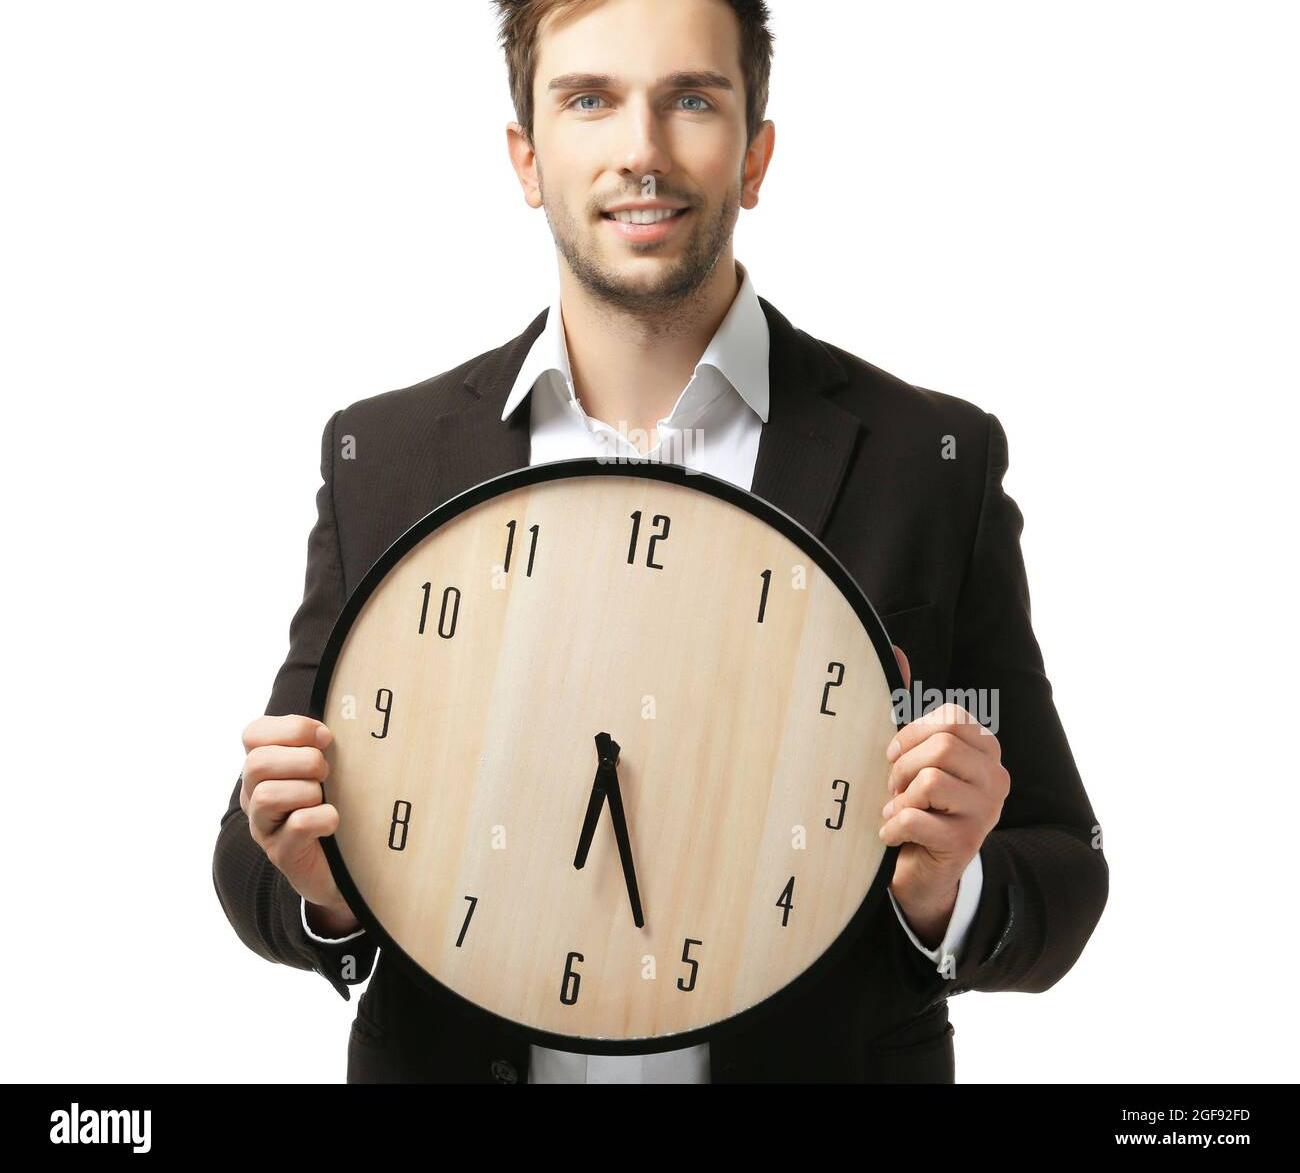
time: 6:26
